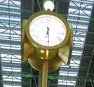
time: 6:29
